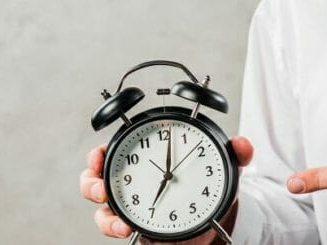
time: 7:01
